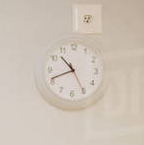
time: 10:41
